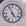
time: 4:56
